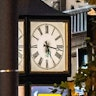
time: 5:16
